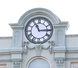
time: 11:14
